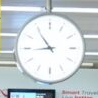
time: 8:54
